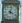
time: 4:02
